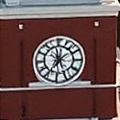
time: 11:35
